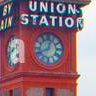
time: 12:41
